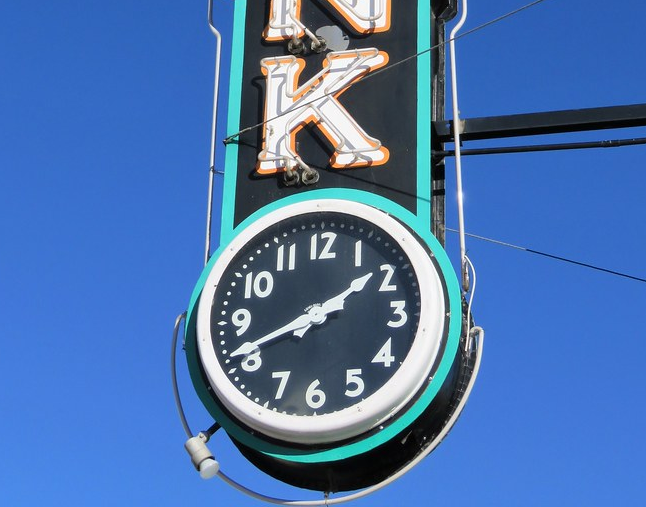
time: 1:41
